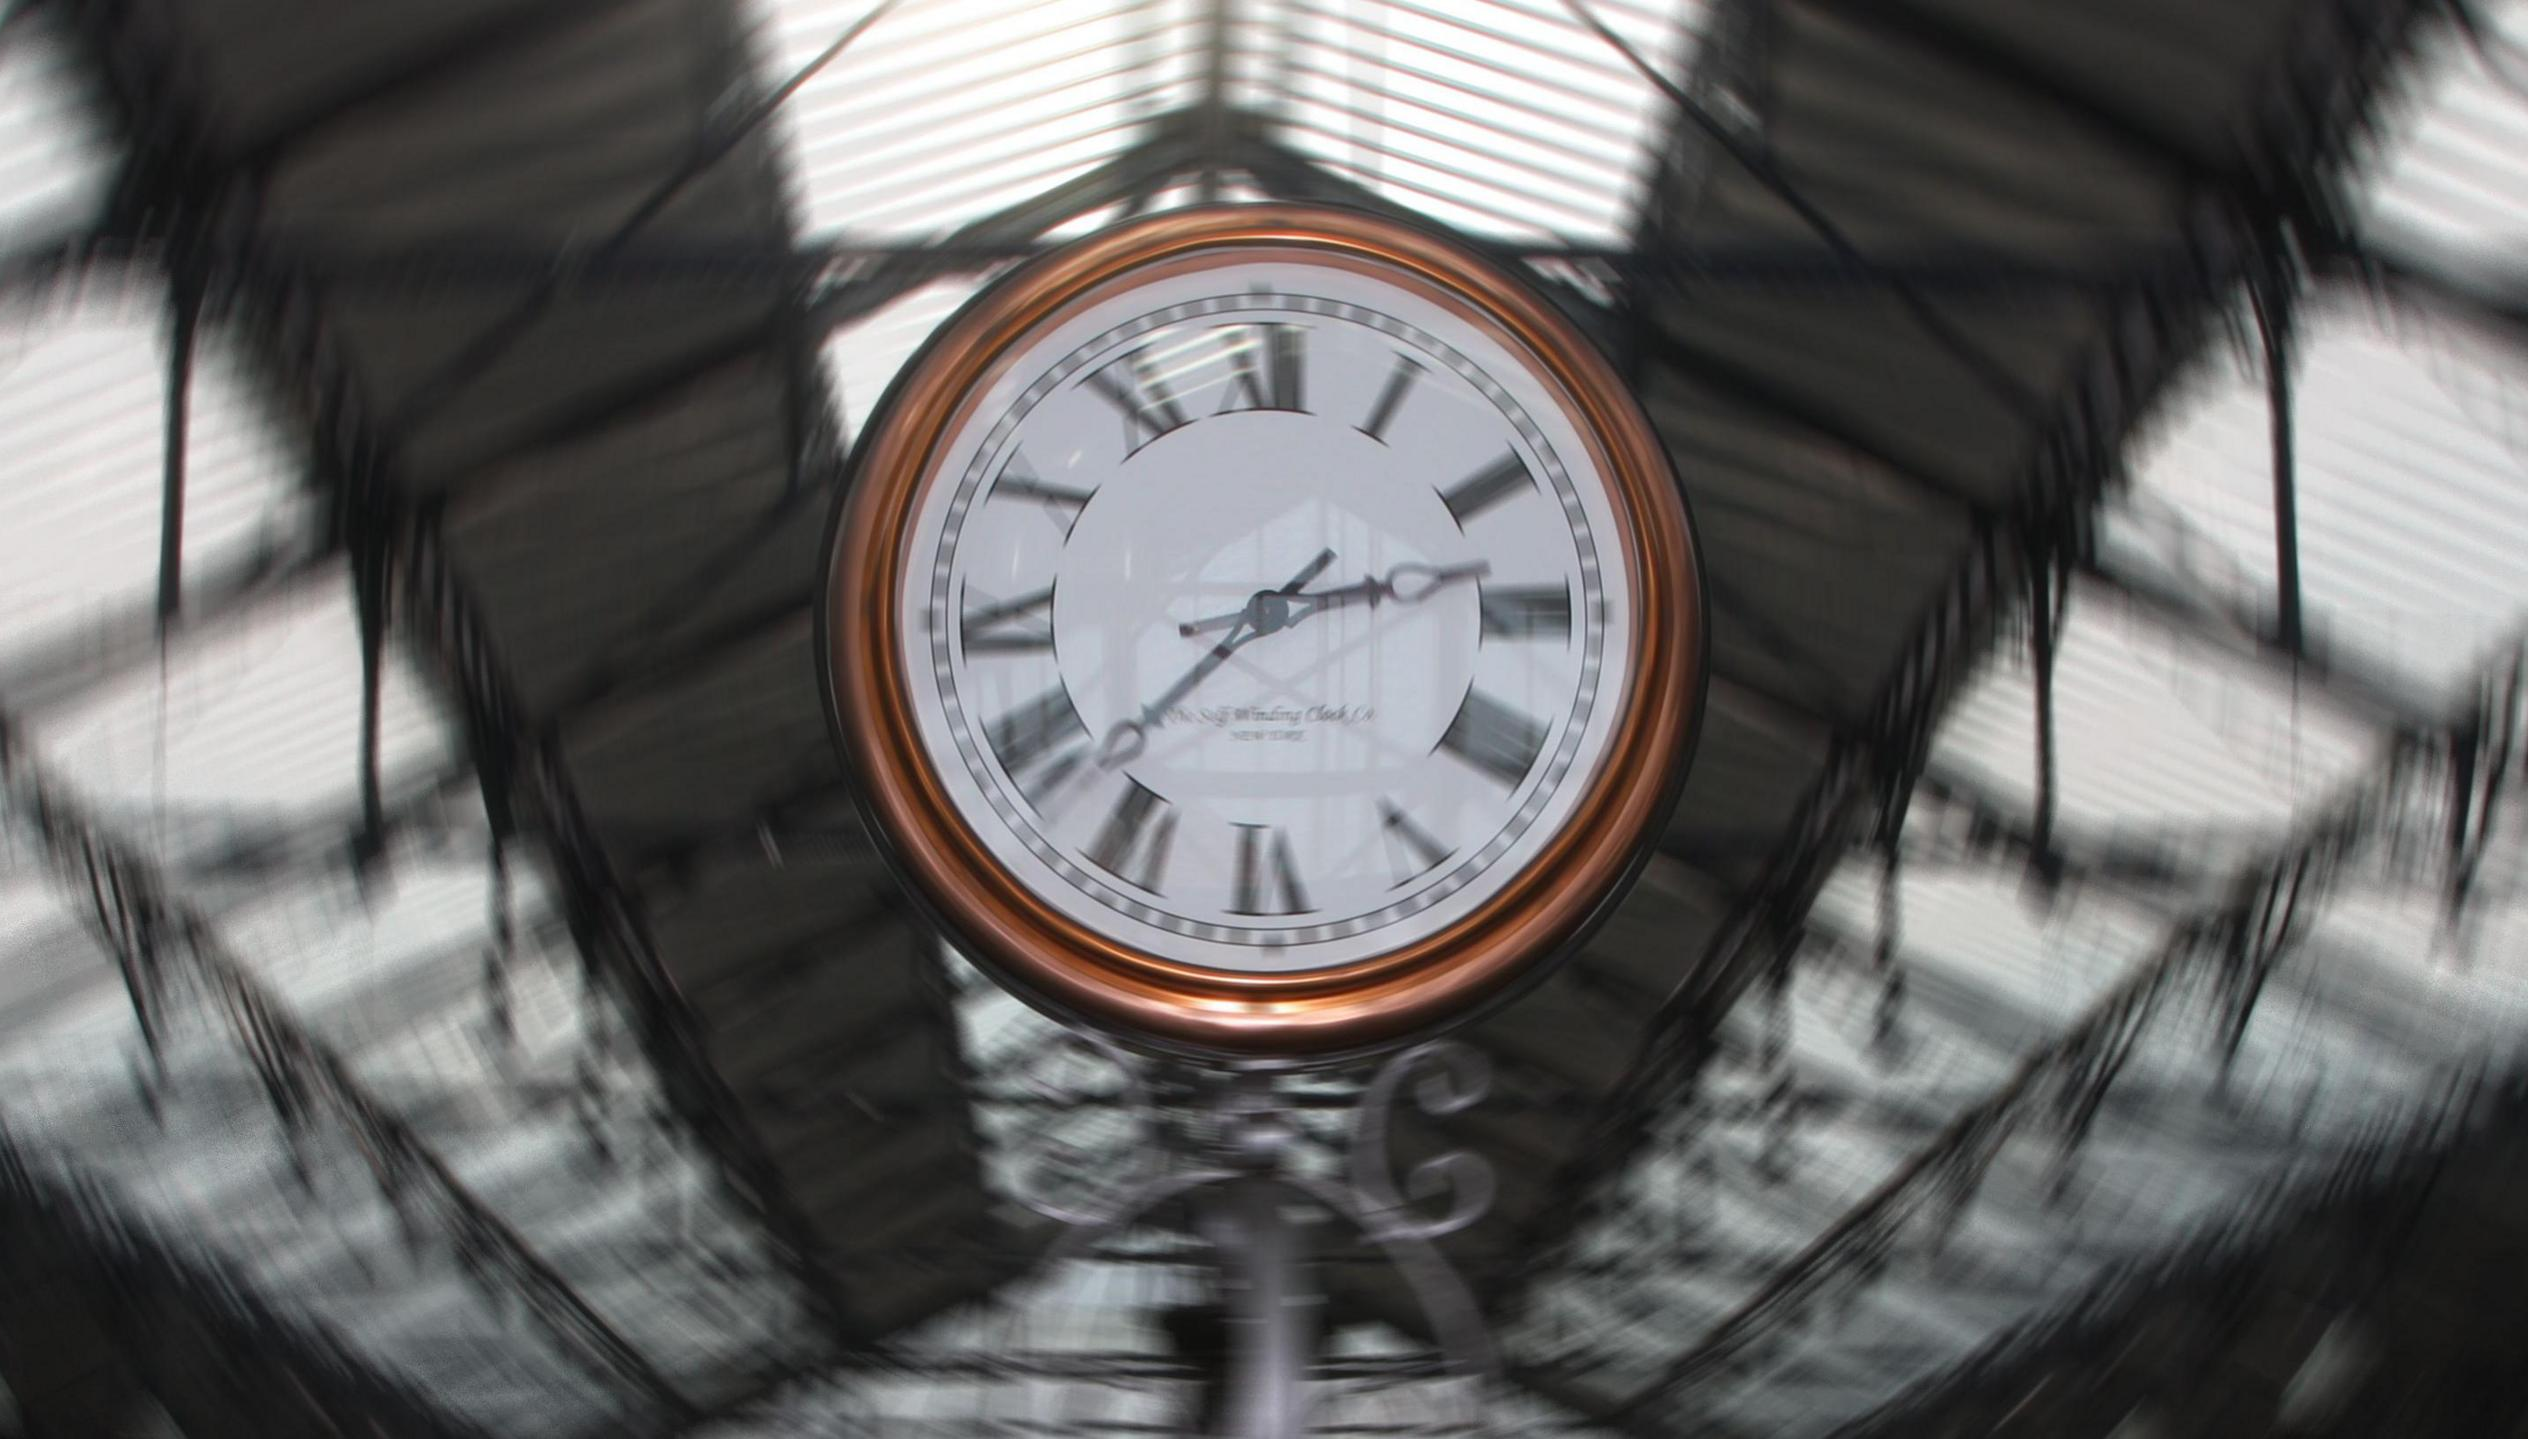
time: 2:37
